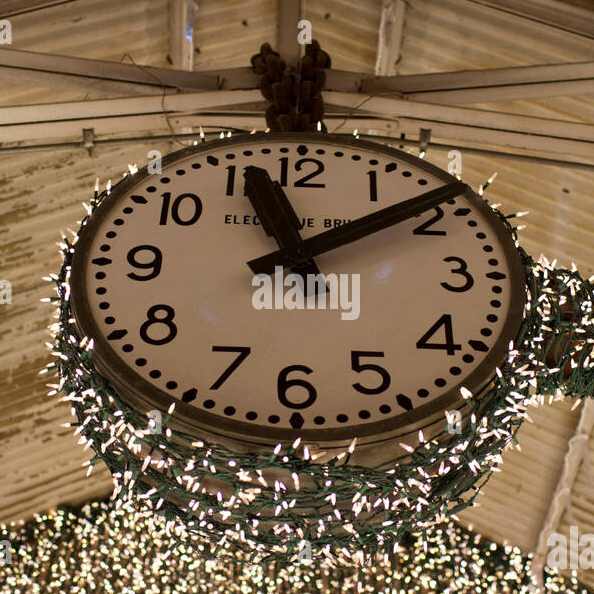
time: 11:09
